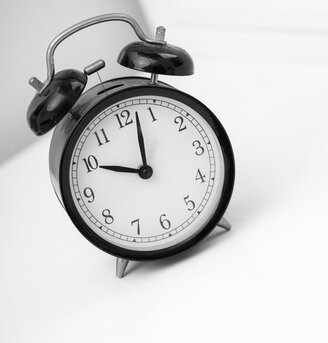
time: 10:02
